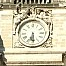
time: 6:29
